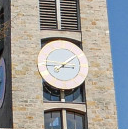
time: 3:09
